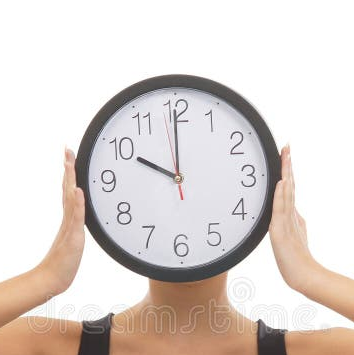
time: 9:59
